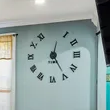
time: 12:24
